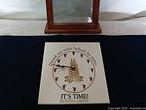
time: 11:46
